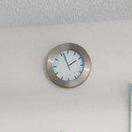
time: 1:56
